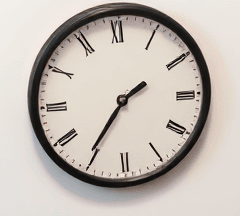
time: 1:35
